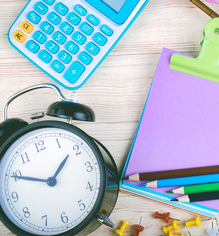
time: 1:49
